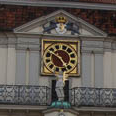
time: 4:49
